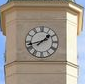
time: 1:42
